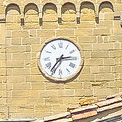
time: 2:36
